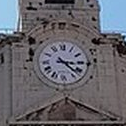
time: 3:22
